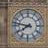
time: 7:46
